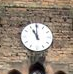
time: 10:59
